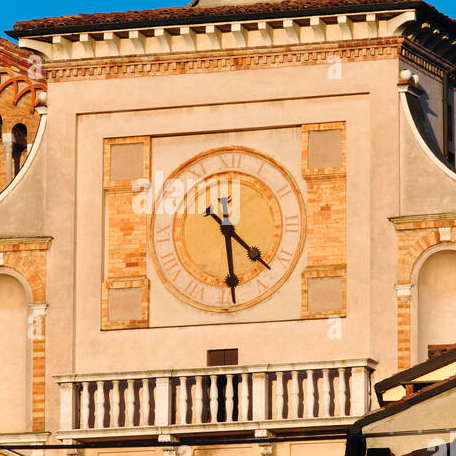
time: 4:29
